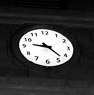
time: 9:22
